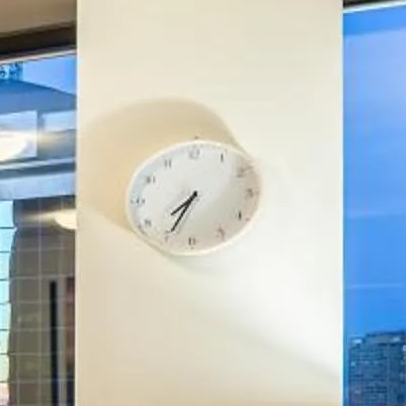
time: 7:34
